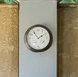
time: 1:54
